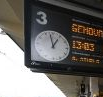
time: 12:58
